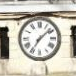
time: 7:08
